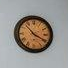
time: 3:52
